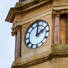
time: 2:01
